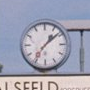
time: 1:08
